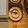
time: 8:47
